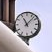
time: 11:07
